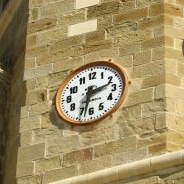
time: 2:32
